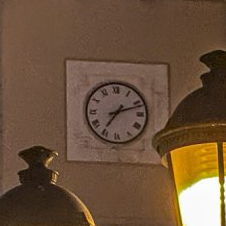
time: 7:11
